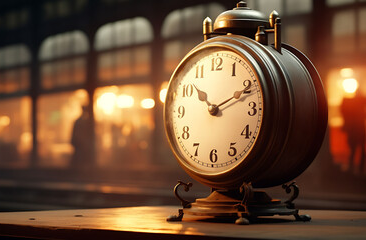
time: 10:11
